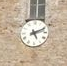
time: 5:11
